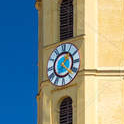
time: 1:21
